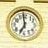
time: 6:58
